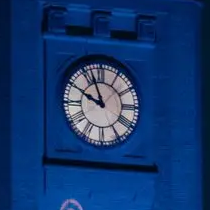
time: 9:56
